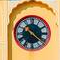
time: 10:21
